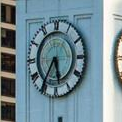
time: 5:35
